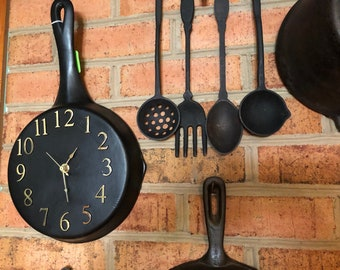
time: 1:28
